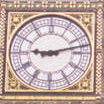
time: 9:12
